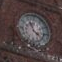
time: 11:21
